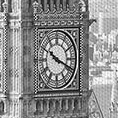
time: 10:18
